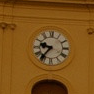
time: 9:36
